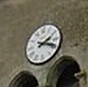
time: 2:18
